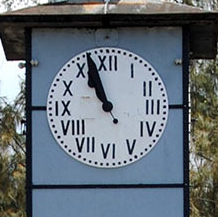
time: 10:56
